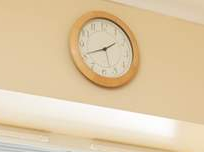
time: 1:40
